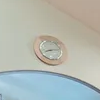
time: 8:12
